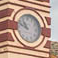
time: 10:48
